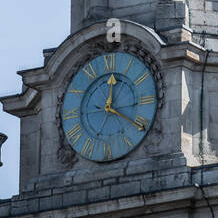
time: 12:20
